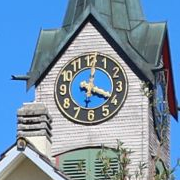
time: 12:19
